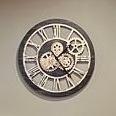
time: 1:23
